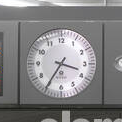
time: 3:35
